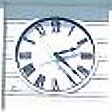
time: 2:22
